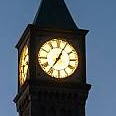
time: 7:04
